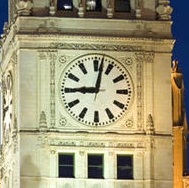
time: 9:01
